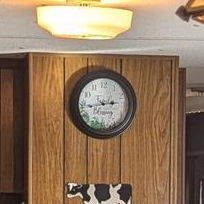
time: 2:44
